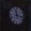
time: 11:16
